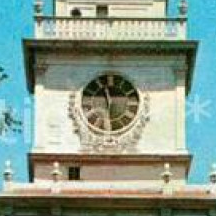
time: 11:28
